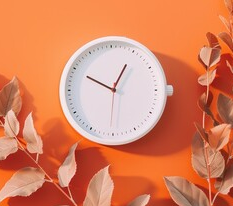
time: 12:49
